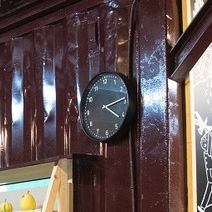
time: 4:13
